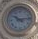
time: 10:14
